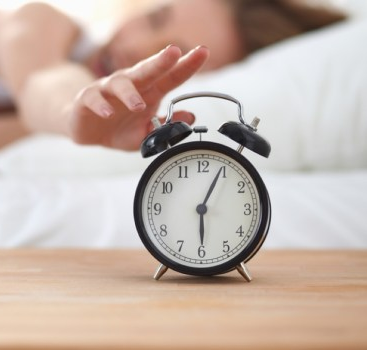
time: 6:04
